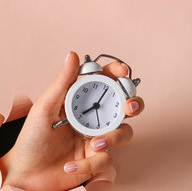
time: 8:06
